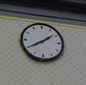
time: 1:39
